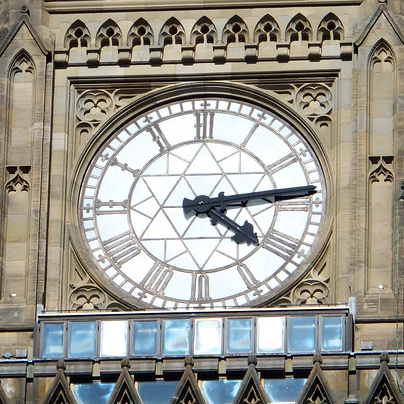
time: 4:13
